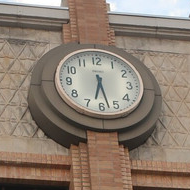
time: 6:27
